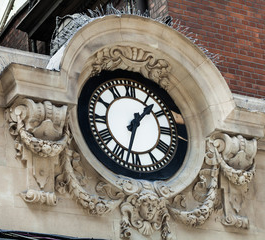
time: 1:32
